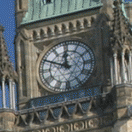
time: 11:49
